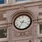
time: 3:34
